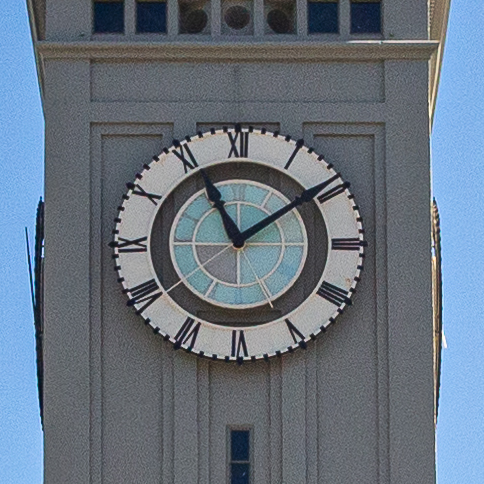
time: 11:09
